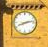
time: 8:12
